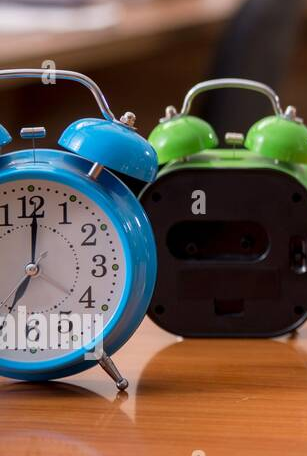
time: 8:00
